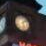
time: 1:28
